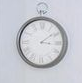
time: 3:08
